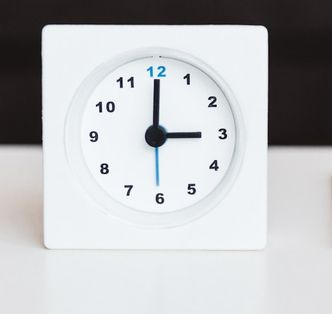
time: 3:00
